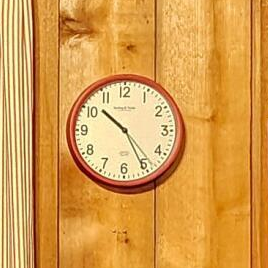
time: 10:25
